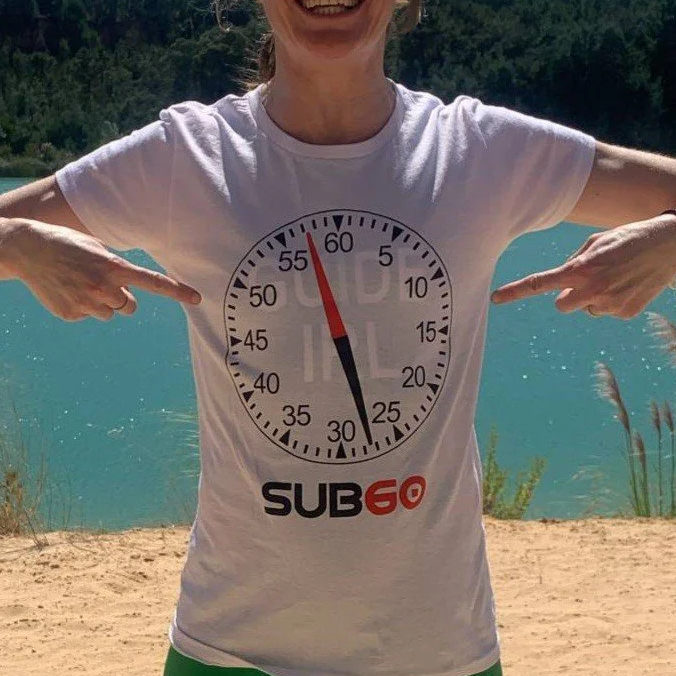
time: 5:27
